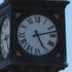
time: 5:12
